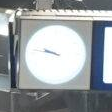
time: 9:46
